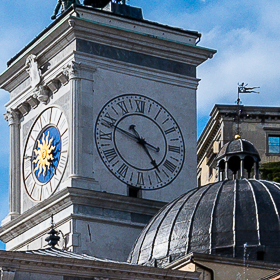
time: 4:48
